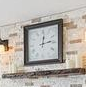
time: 12:13
